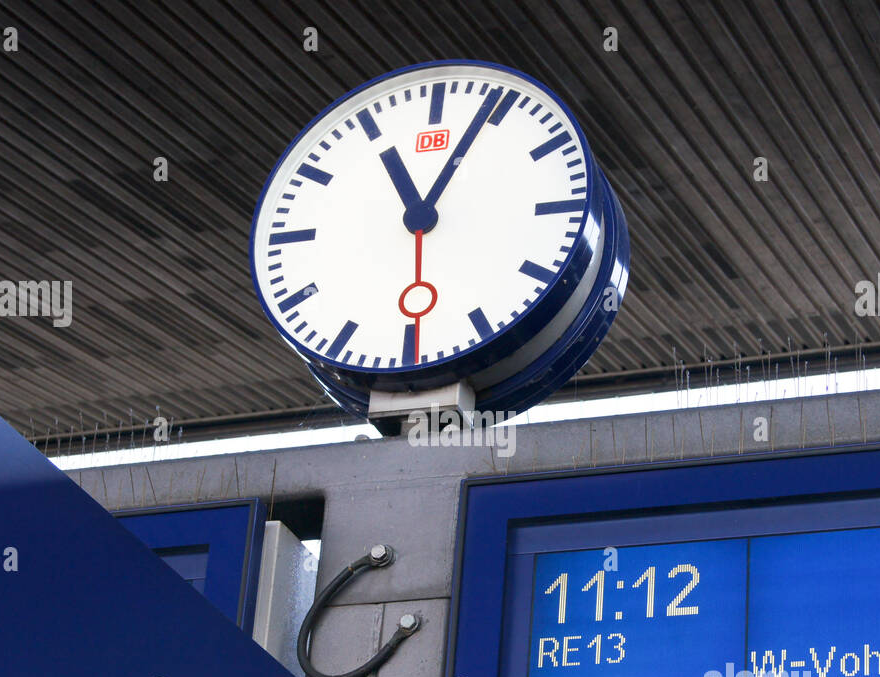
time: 11:04
